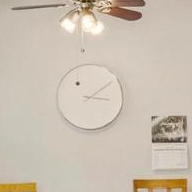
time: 3:08
